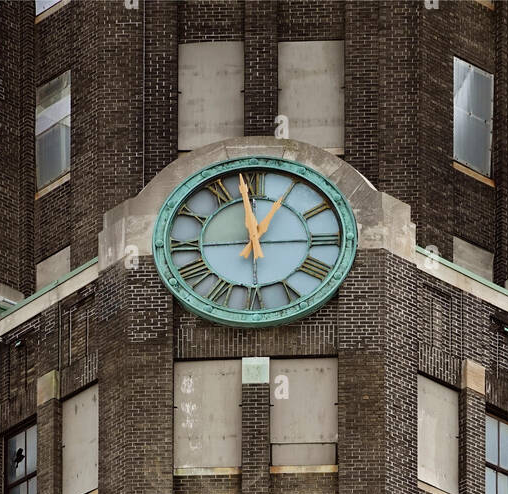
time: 12:58
